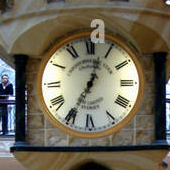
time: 12:34
